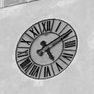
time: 5:09
